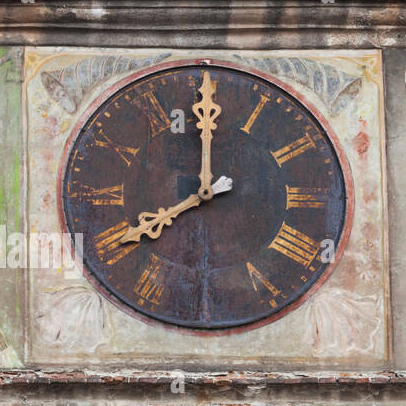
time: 7:59
